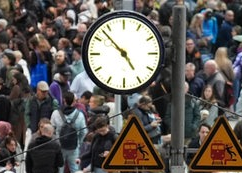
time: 4:52
